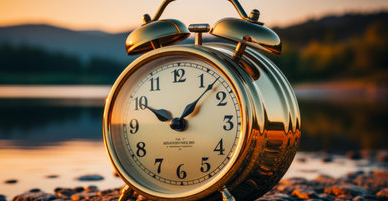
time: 10:07
